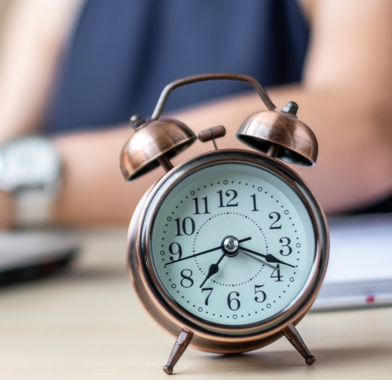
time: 7:18
